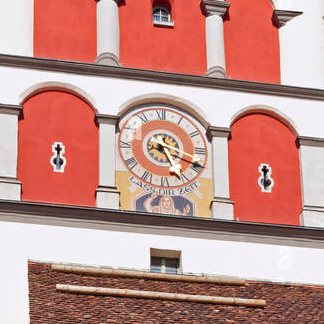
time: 5:18
